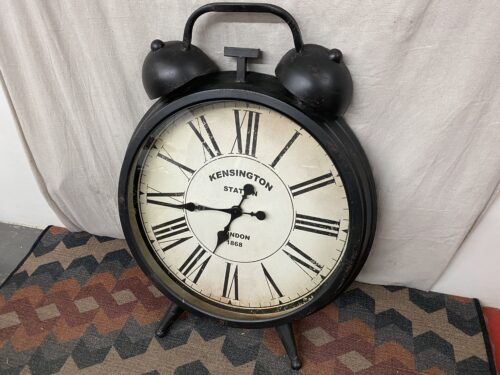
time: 6:43
